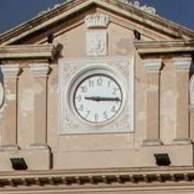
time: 9:14
